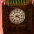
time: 4:12
